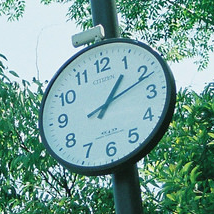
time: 1:11
